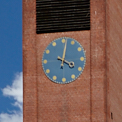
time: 4:01
